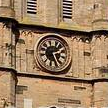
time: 2:25
